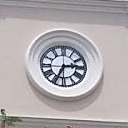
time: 2:34
